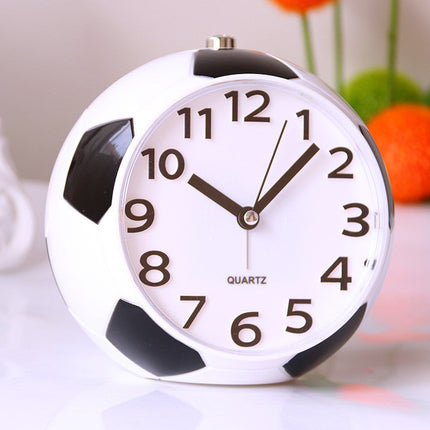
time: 10:07
